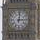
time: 3:01
